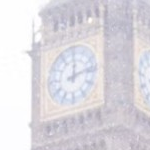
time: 12:12
